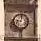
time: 9:01
